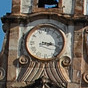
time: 3:17
